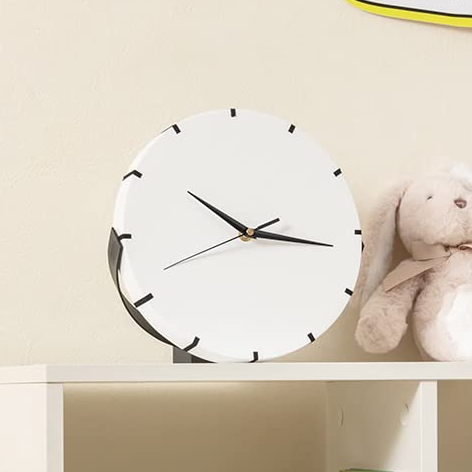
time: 10:16
